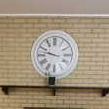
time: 9:47
